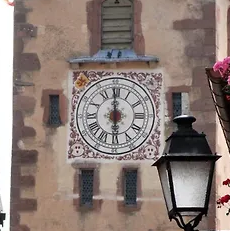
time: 5:59
